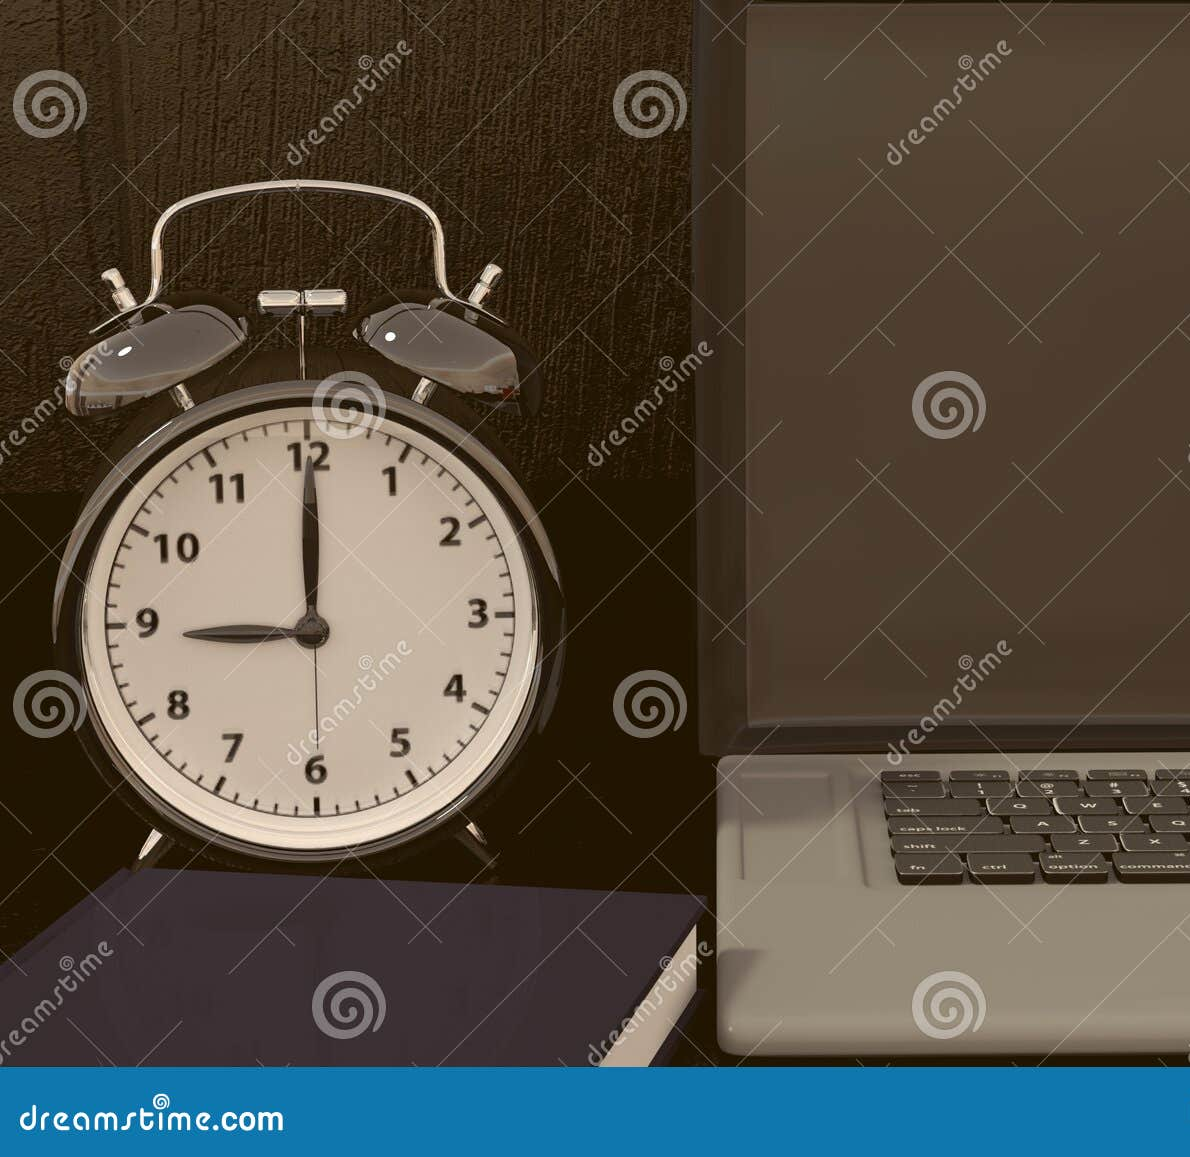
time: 9:00
